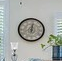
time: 12:01
